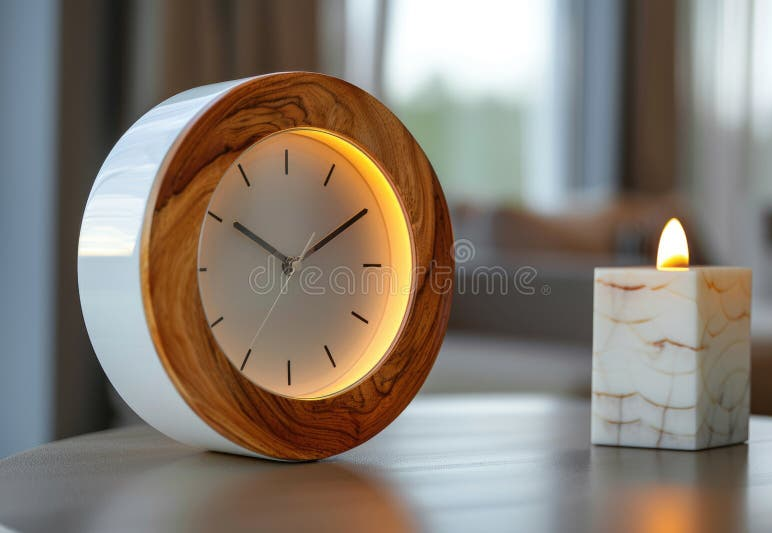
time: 10:10
